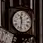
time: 11:32
